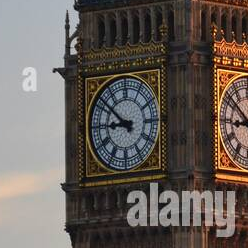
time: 8:51
